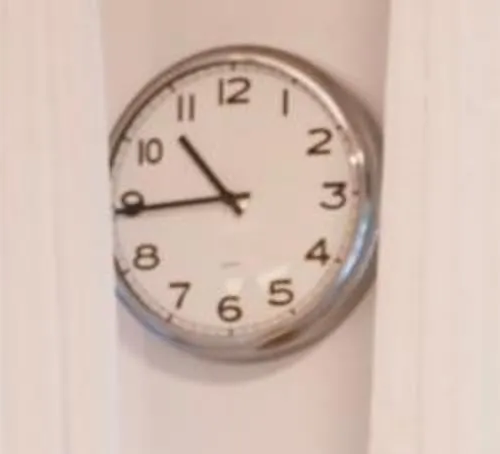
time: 10:44
